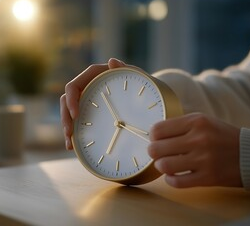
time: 6:53
